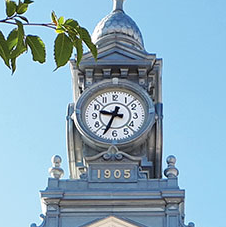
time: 9:34
